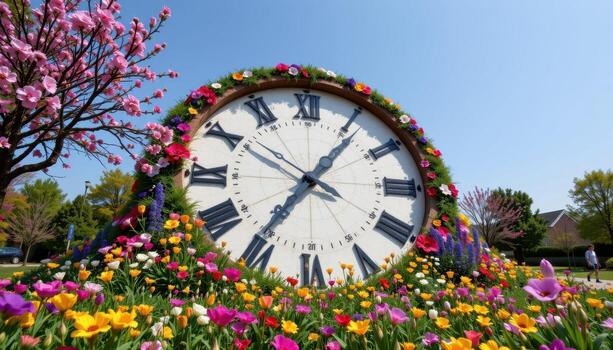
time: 7:06
